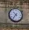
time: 10:36
